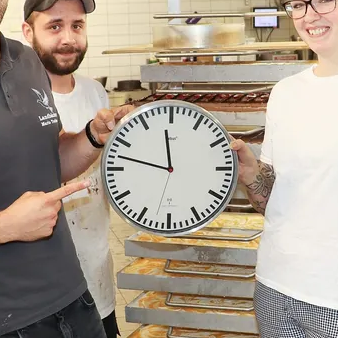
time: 11:47
